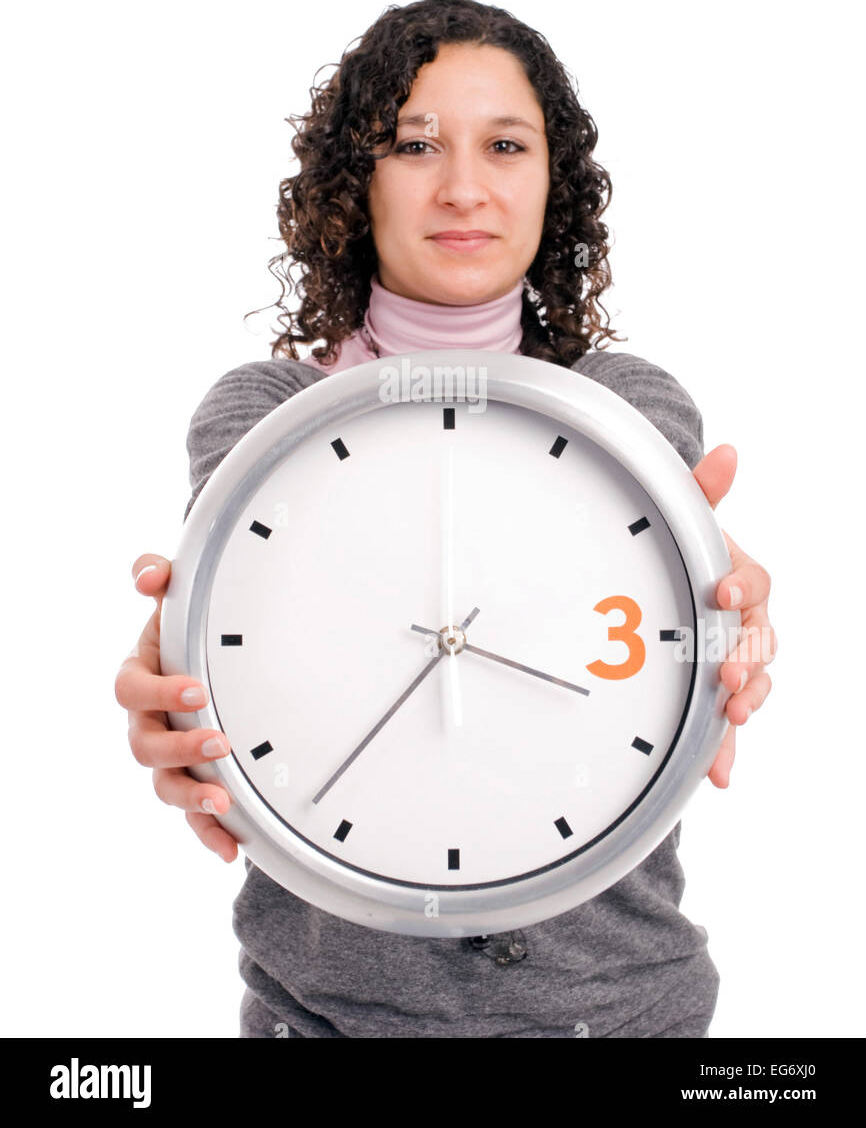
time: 3:36
